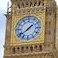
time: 1:38
